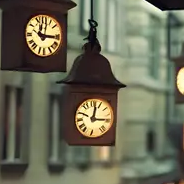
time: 12:16
